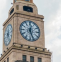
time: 12:26
